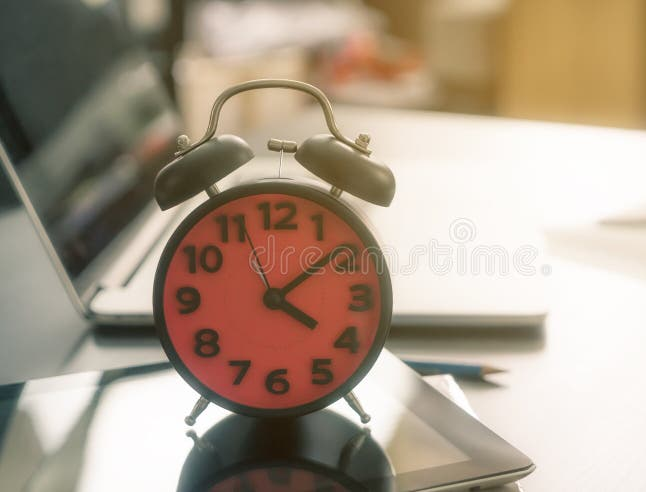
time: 4:09
